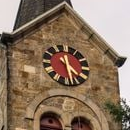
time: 4:28
